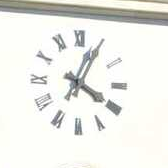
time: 4:04
